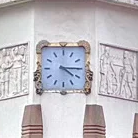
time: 4:15
